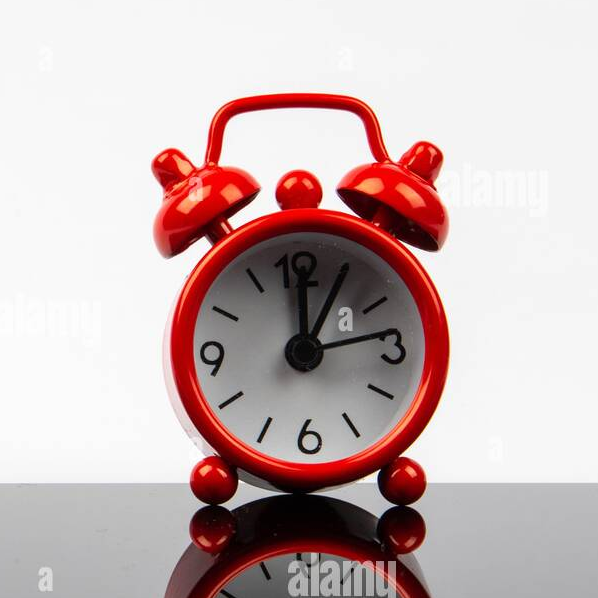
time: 12:05
